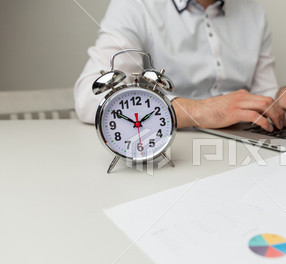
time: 1:50
